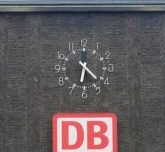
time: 6:22
